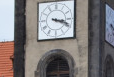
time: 3:18
